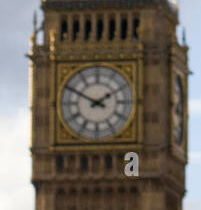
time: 1:50
